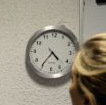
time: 4:35
